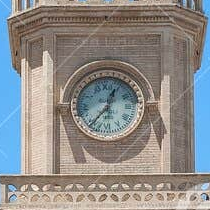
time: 12:37
